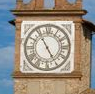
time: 4:54
